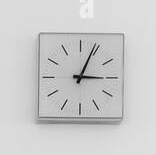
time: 3:04
